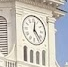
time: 12:23
